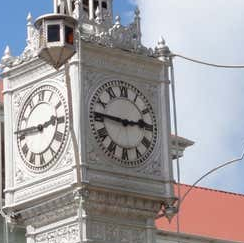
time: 2:46
